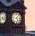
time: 5:06
